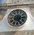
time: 5:14
